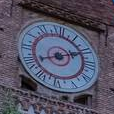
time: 8:11
